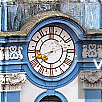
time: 7:41
